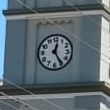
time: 12:24
